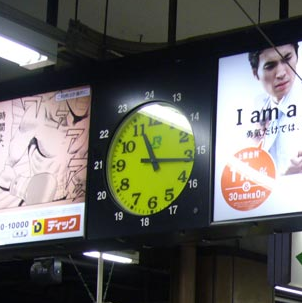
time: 11:16
